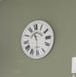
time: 11:30
